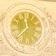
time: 11:37
